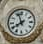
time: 7:56
